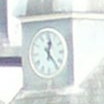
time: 12:23
